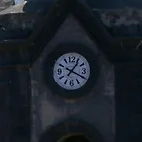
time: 1:19
